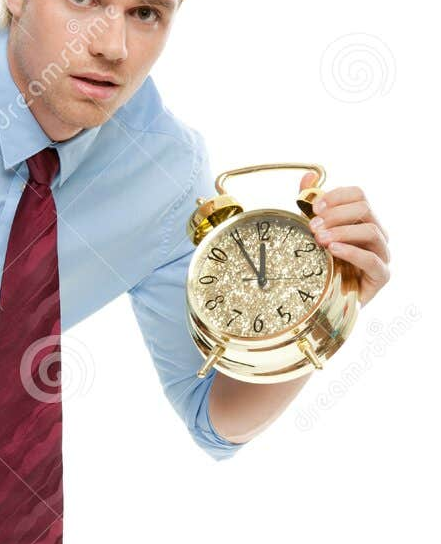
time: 11:54
